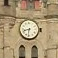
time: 8:31
